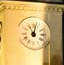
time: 11:02
